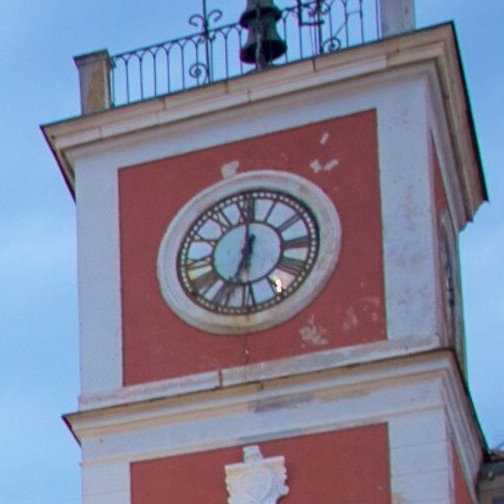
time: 7:00
